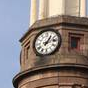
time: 1:13
